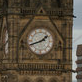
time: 1:41
